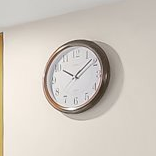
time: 10:08
